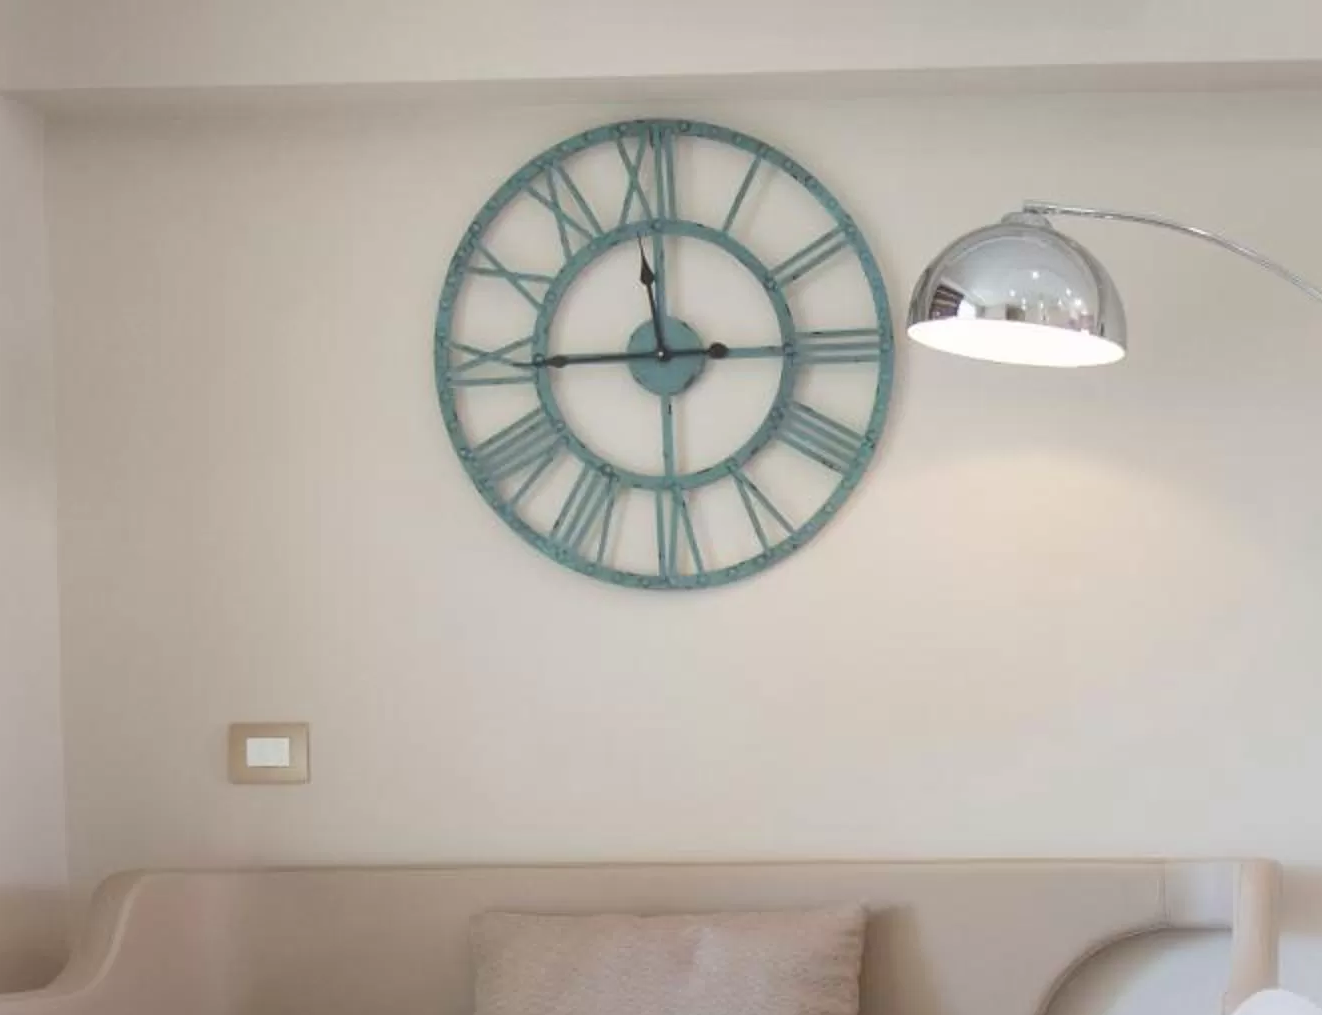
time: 11:44
